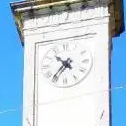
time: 10:37
